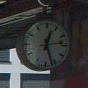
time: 12:26
